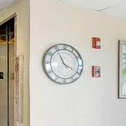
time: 3:54
